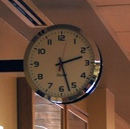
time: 2:27
